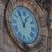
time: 12:55
